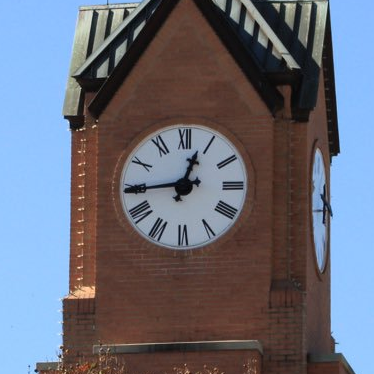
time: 12:44
